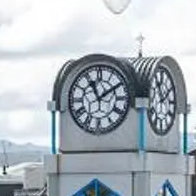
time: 11:09
